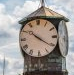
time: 10:20
